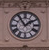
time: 1:54
